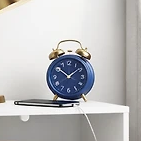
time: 1:51
